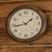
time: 1:43
